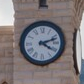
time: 4:11
